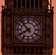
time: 7:52
